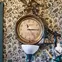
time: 11:15
